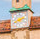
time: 8:11
